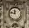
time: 11:46
